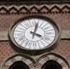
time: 4:02
